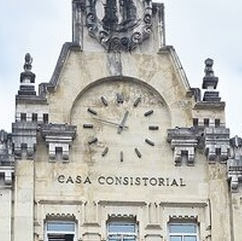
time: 12:47
